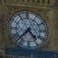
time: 4:37
